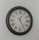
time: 12:24
